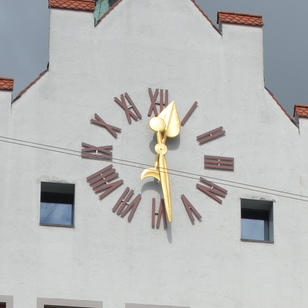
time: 12:28
